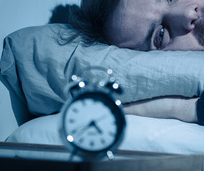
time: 4:38
